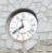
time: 11:40
